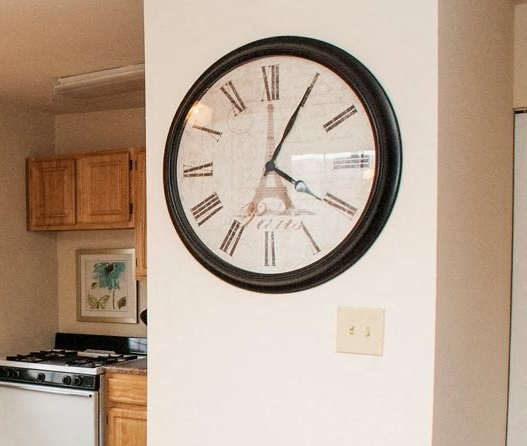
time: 4:04
